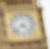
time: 4:37
